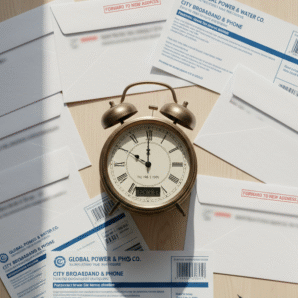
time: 10:00
